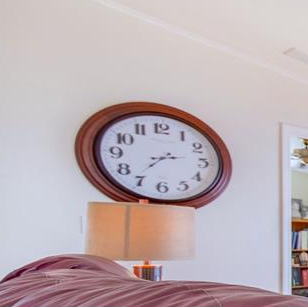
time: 2:36
